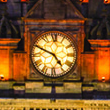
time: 4:49
